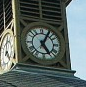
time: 5:05
